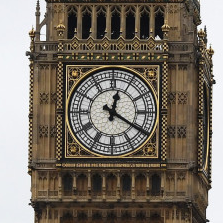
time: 12:20
